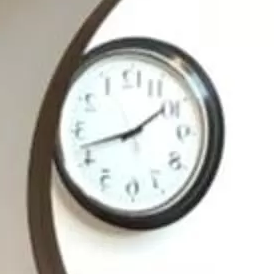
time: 1:42
